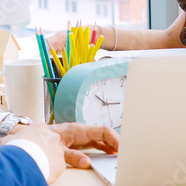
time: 10:15
